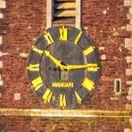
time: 10:14
